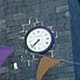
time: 7:37
